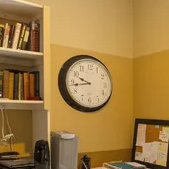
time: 9:43
